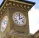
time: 2:00
